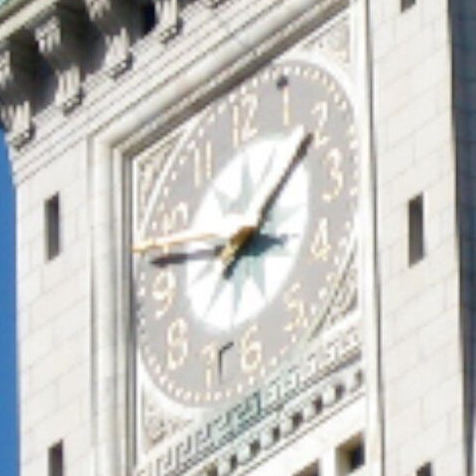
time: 1:46
